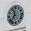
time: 11:37
